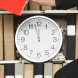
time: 11:57
